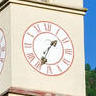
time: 1:33
